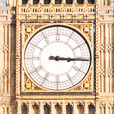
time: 3:15
